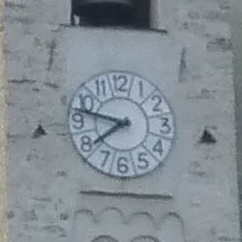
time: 7:47
